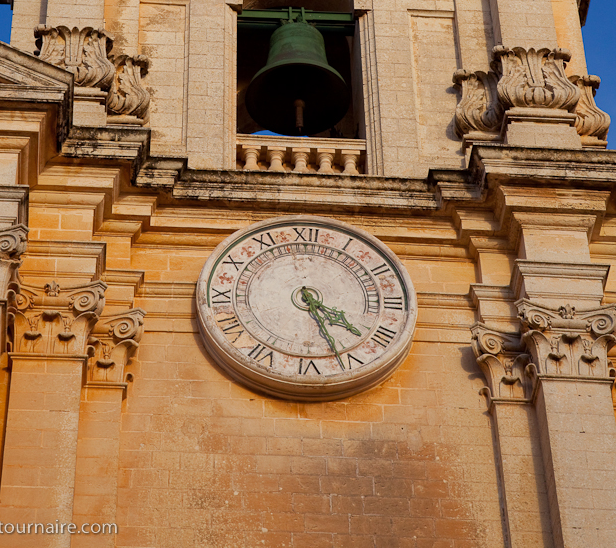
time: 4:26
